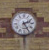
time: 2:24
